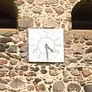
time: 4:29
